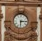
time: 6:14
